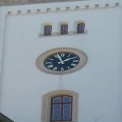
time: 1:56
